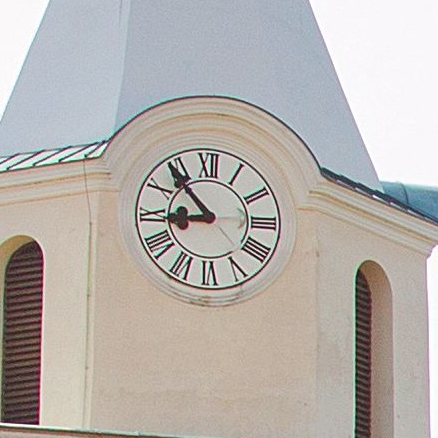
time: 8:53
